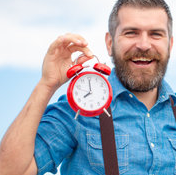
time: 7:59
